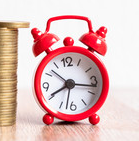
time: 8:16
